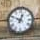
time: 12:49
